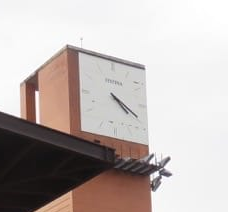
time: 4:19
